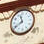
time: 11:40
